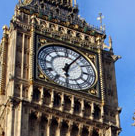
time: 6:05
